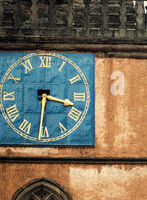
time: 3:30
